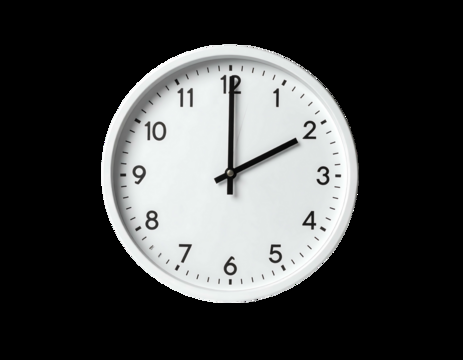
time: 2:00
